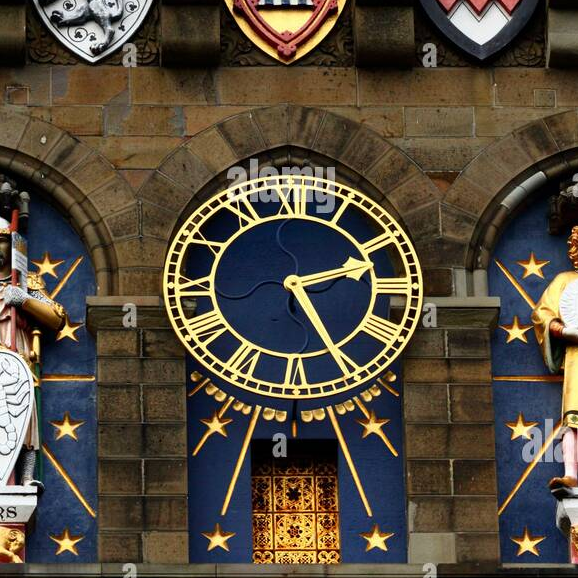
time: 2:25
